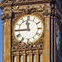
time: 11:44
